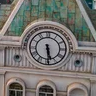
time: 5:29
